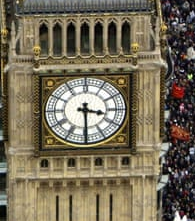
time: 3:29
